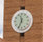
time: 11:34
